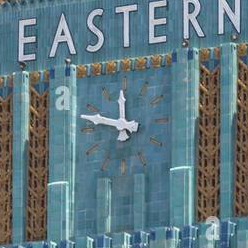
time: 11:47
